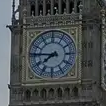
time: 7:45
